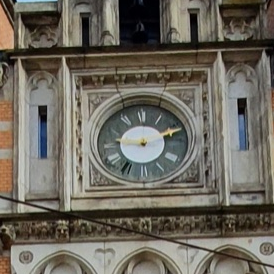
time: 9:12
